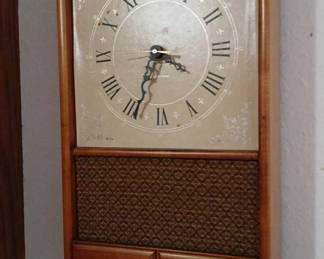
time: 3:34
